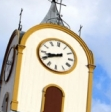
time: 8:40
